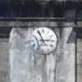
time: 2:56
